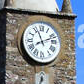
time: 11:11
